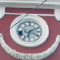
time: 6:10
